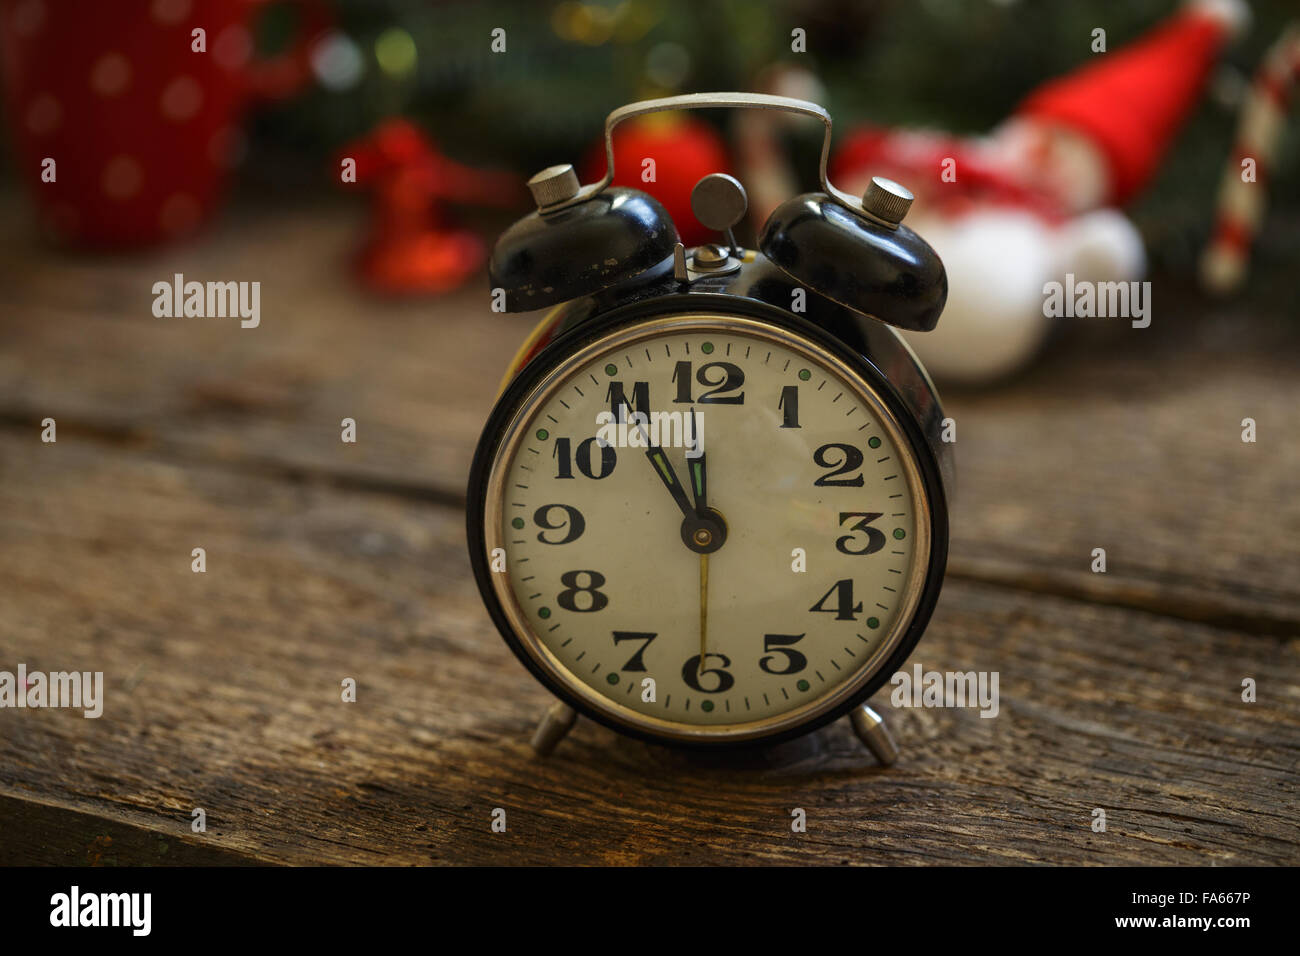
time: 10:59
